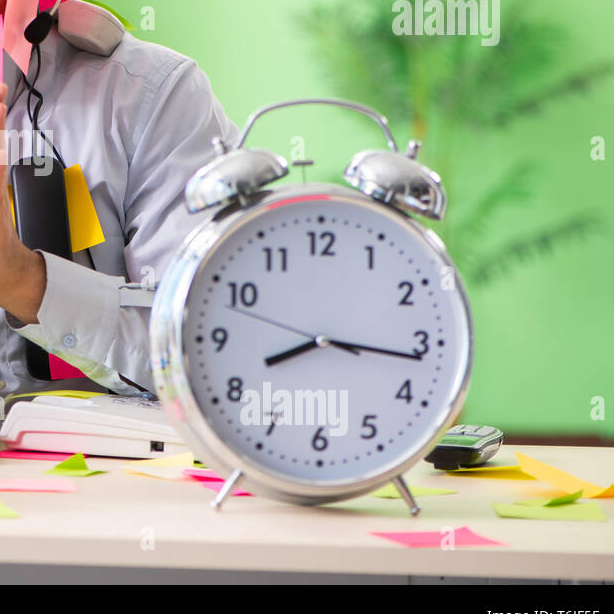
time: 8:16
